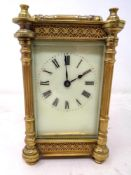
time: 1:59
